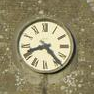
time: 8:23
